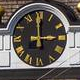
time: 2:59
